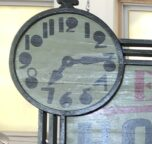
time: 7:14
